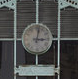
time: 3:02
